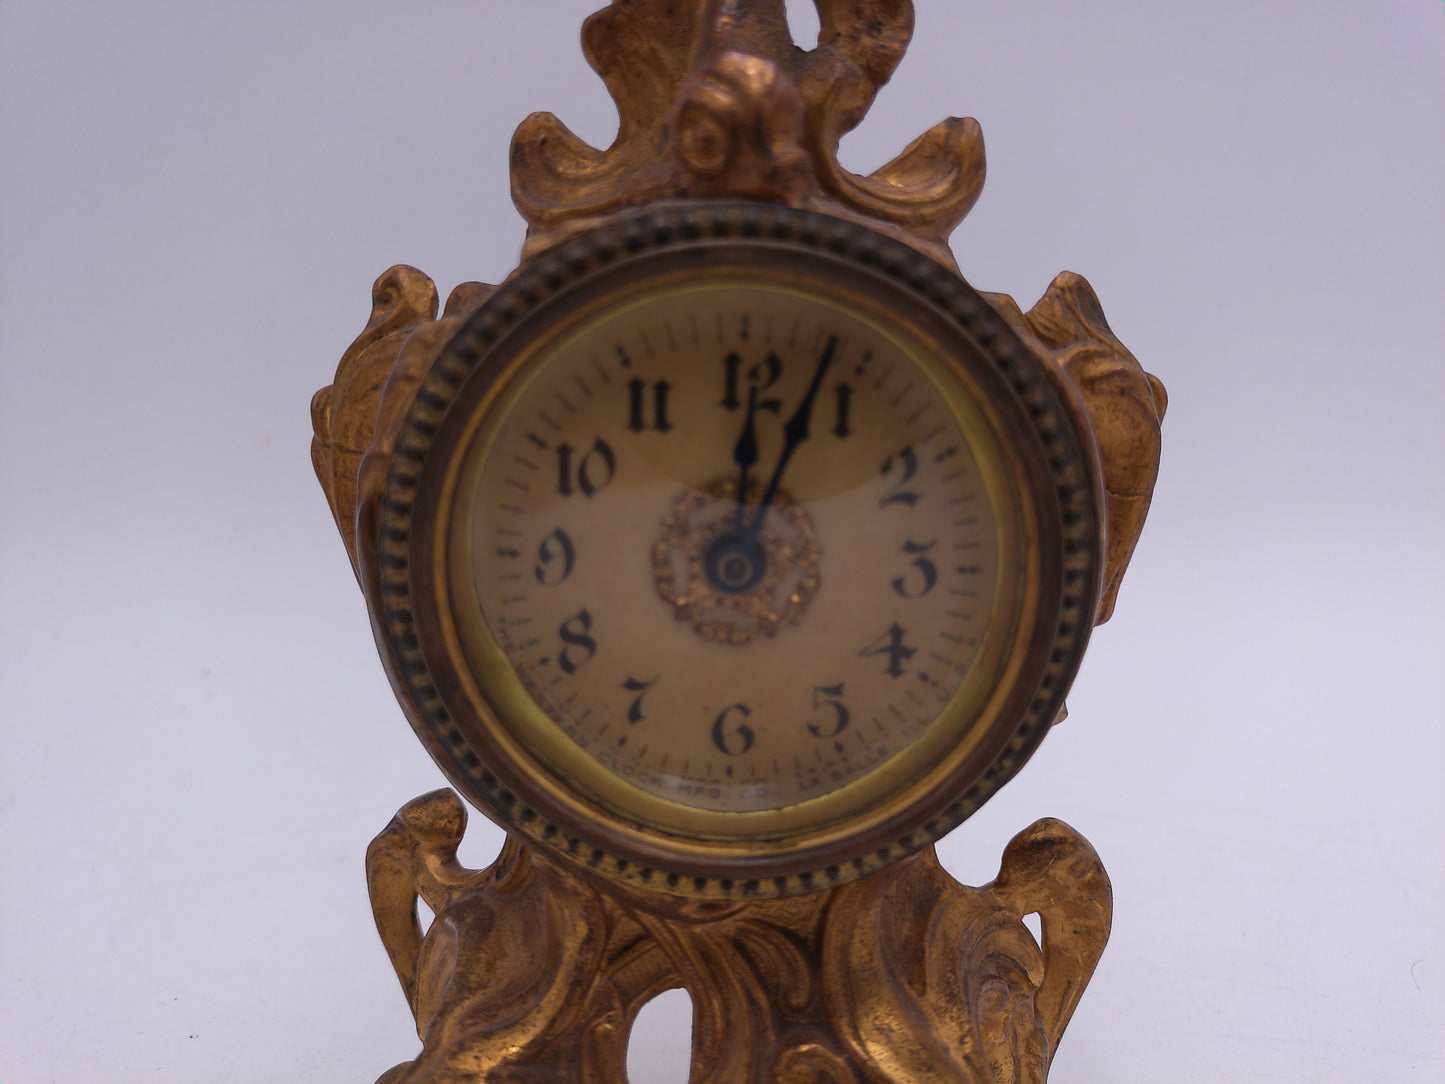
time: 12:03
